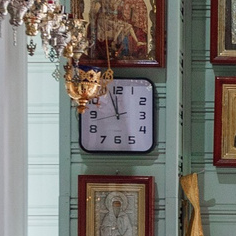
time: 11:56
